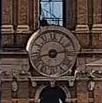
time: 2:42
